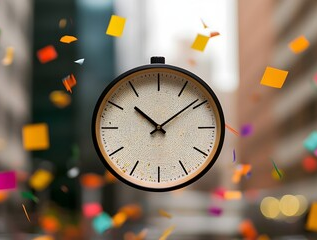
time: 10:08
